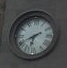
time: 6:40
